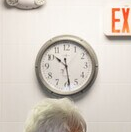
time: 10:28
